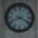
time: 8:19
